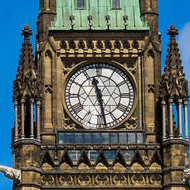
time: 11:28
